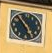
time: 4:52
